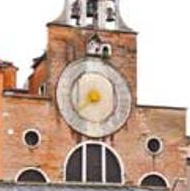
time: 8:38
